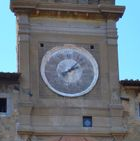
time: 2:07
